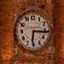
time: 6:15
